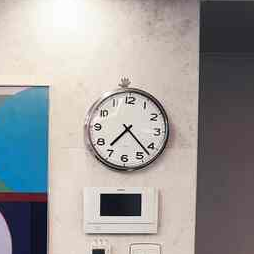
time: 7:22
